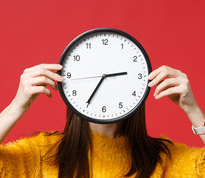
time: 2:35
